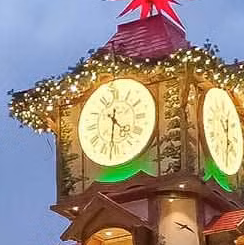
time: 4:31
